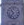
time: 10:36
